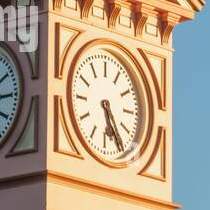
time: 5:24
